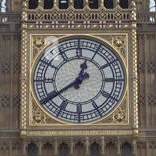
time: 12:39
